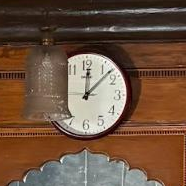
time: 12:07
